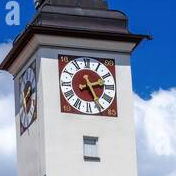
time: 2:25
